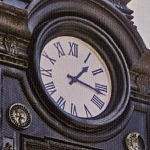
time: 1:16
